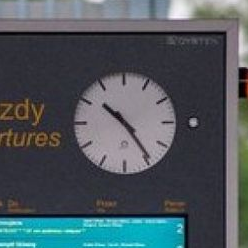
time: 10:24
